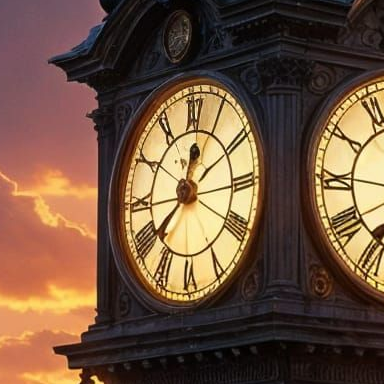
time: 12:38
